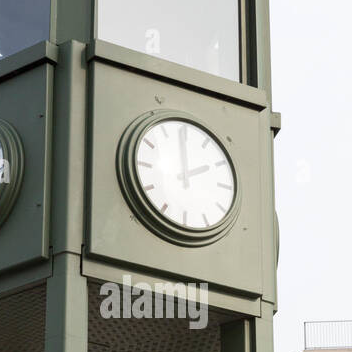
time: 1:59
